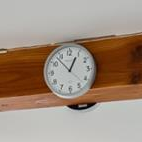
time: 12:53
